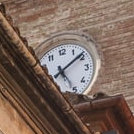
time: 5:08
